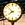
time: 7:52
